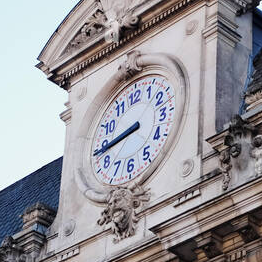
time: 8:44
